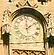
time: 12:08
